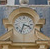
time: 3:33
